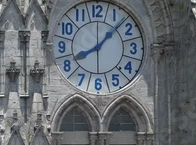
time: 8:07
